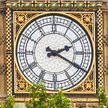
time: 2:19
